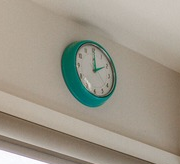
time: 2:00
